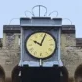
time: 10:03
